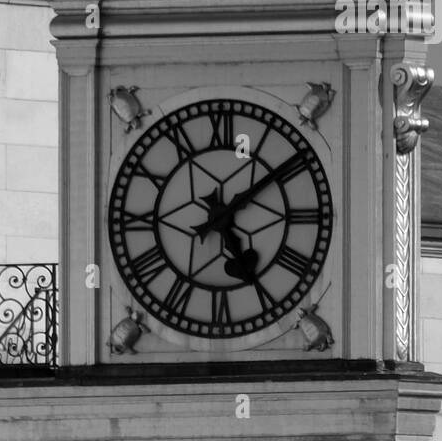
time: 5:08
